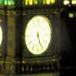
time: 5:26
